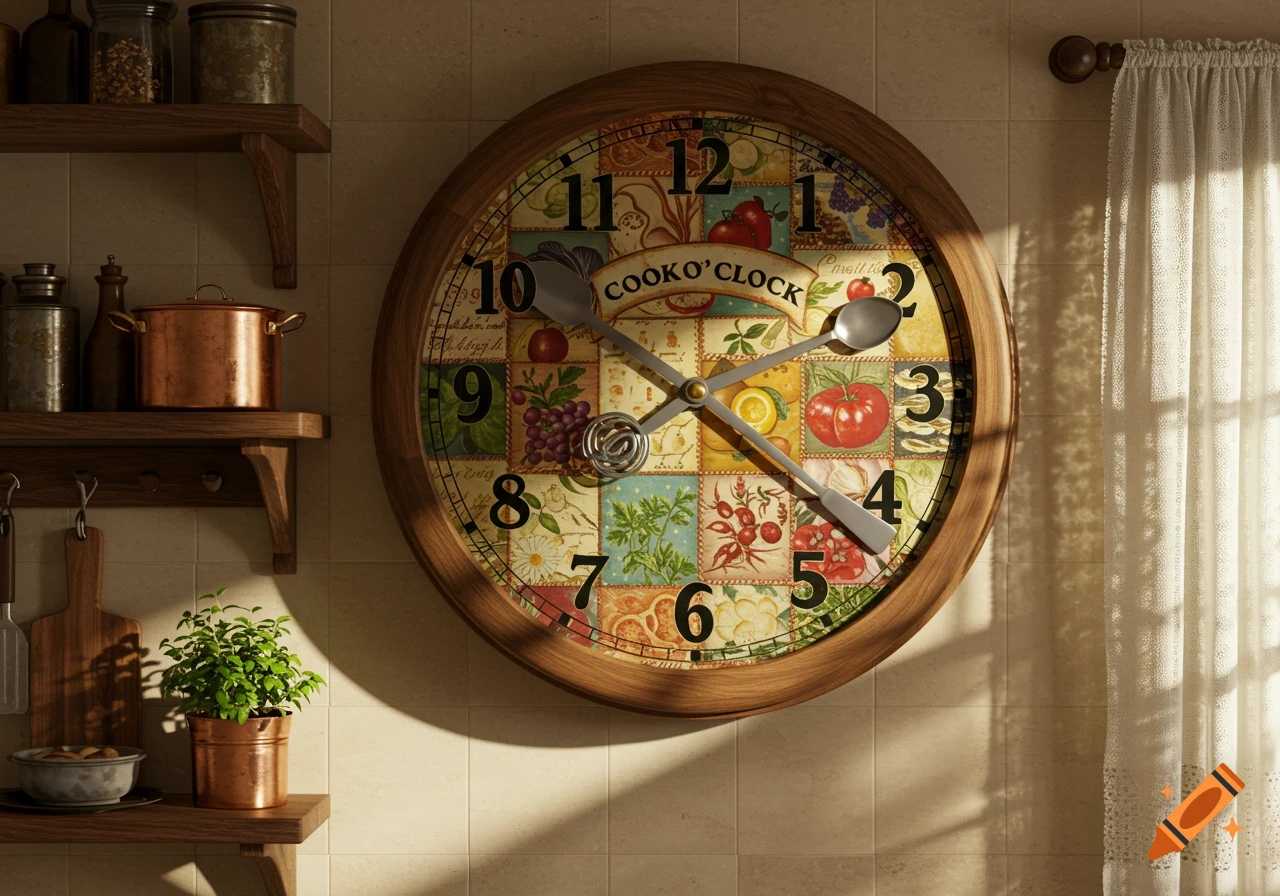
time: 2:21
